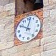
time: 10:02
